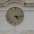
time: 4:14
